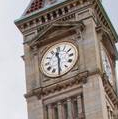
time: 11:30
